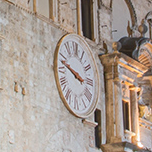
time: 3:48
